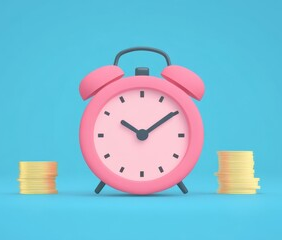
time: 10:09
